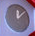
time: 12:07
